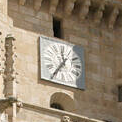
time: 11:35
